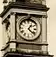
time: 1:21
